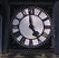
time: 4:58
